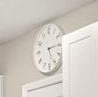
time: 5:14
